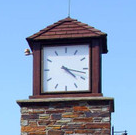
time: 4:17
